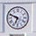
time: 6:48
